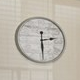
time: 2:29
